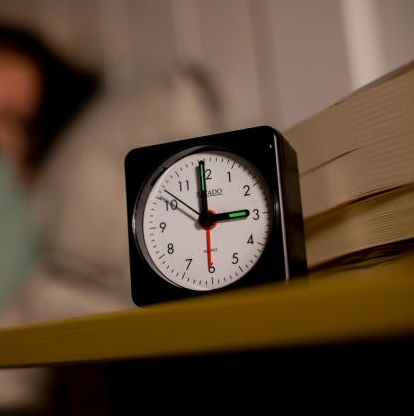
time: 2:59
